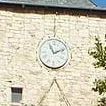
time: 11:11
